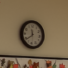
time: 11:38
